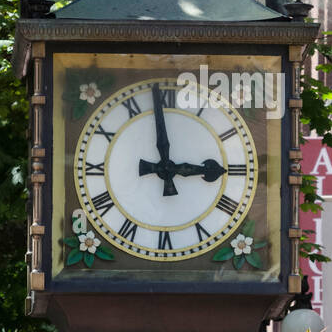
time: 2:58
